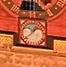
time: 1:37
